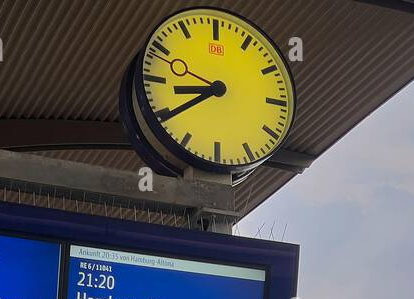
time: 8:39
